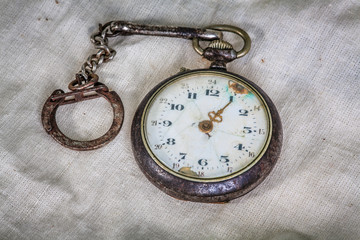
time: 1:05
